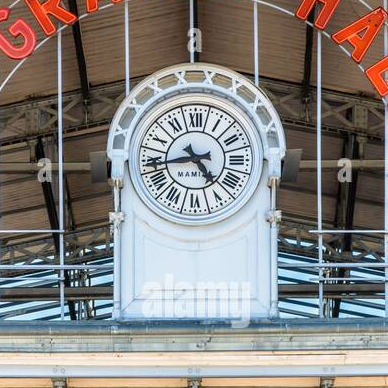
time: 4:42
